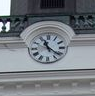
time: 11:21
